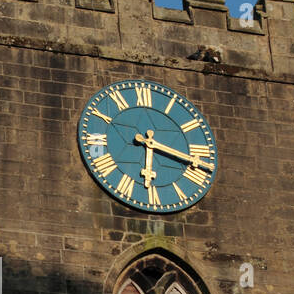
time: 6:18
